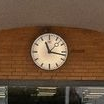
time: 11:17
